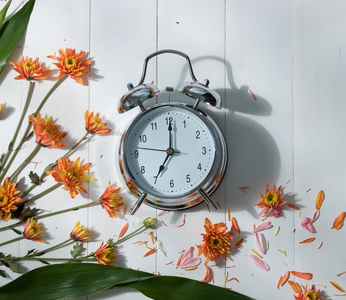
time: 7:00
